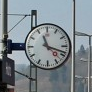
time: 11:18
